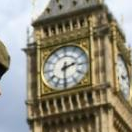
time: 2:30
